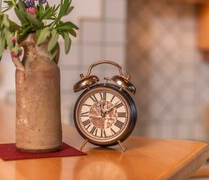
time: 12:09
